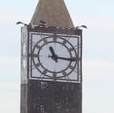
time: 11:16
